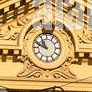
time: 10:48
